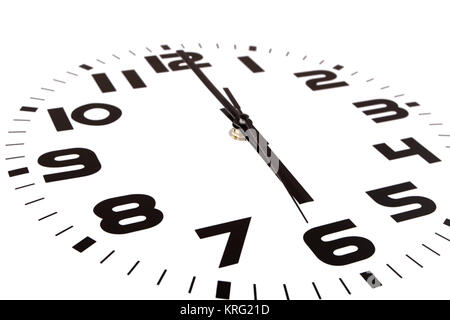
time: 6:00
